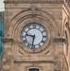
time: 9:32
